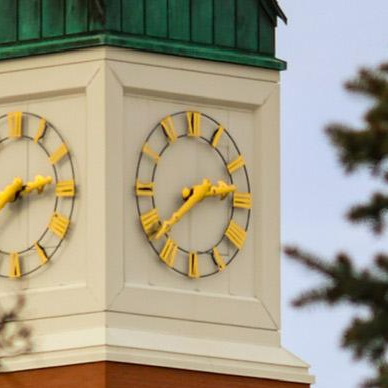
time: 2:38
